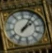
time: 2:06
